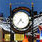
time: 4:36
